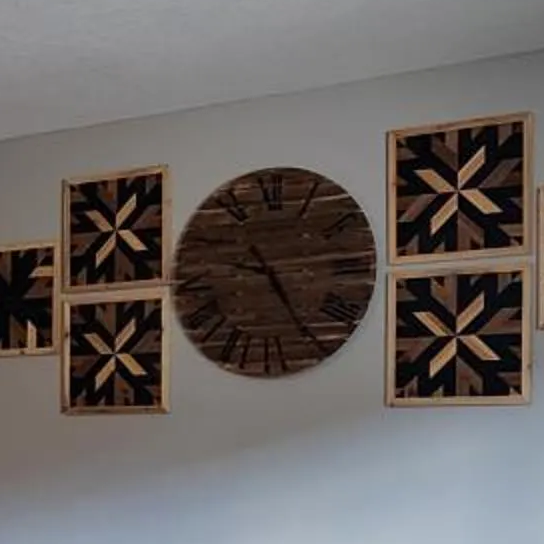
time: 9:25
